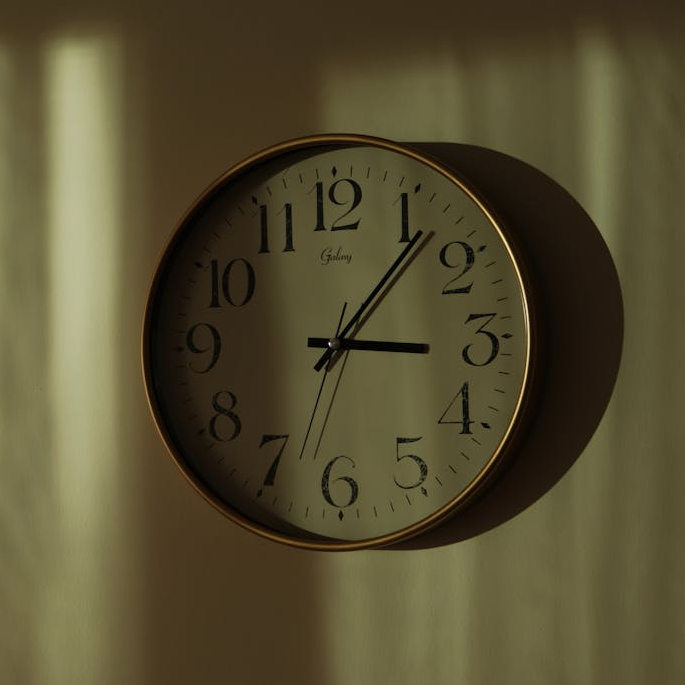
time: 3:06
